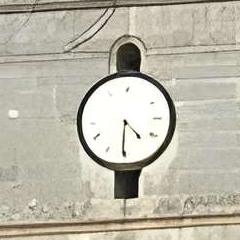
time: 4:30
